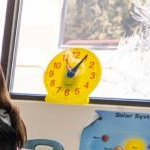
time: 1:05
